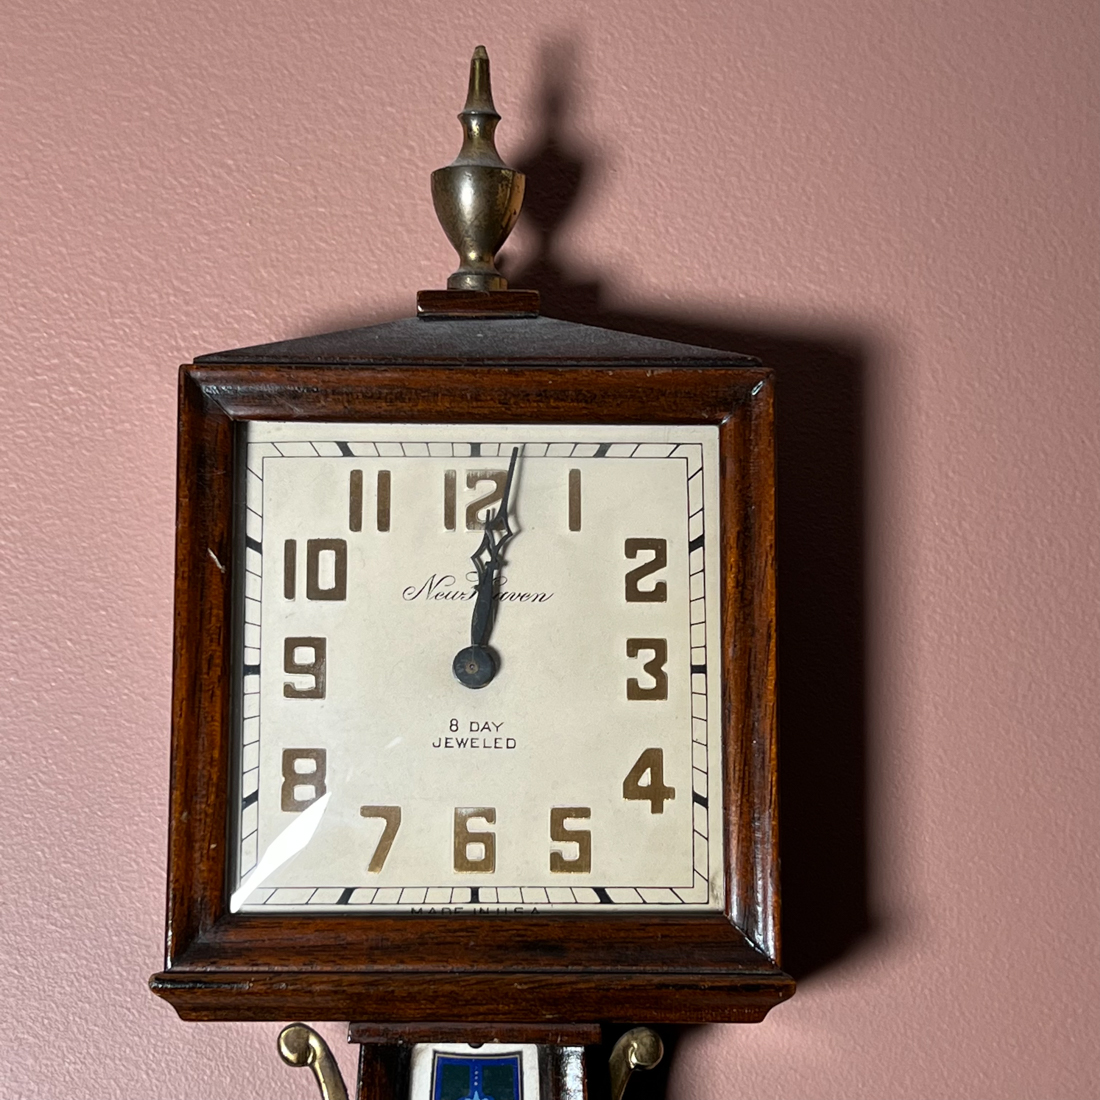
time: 12:01
